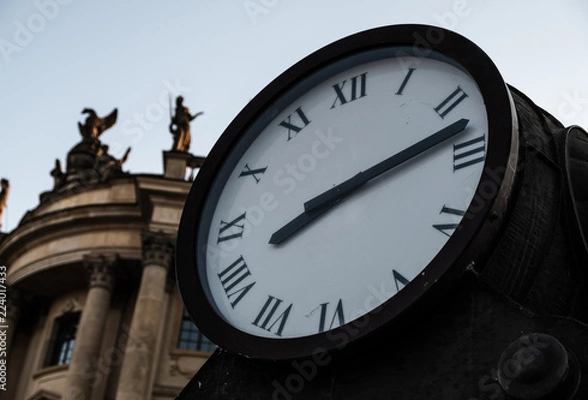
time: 8:12
